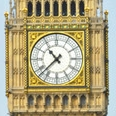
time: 10:37
